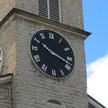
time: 10:17
